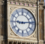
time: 9:13
